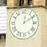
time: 12:09
